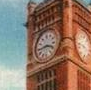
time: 3:43
